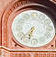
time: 6:36
